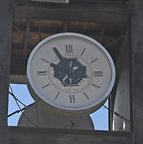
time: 9:55
